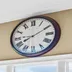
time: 8:09
